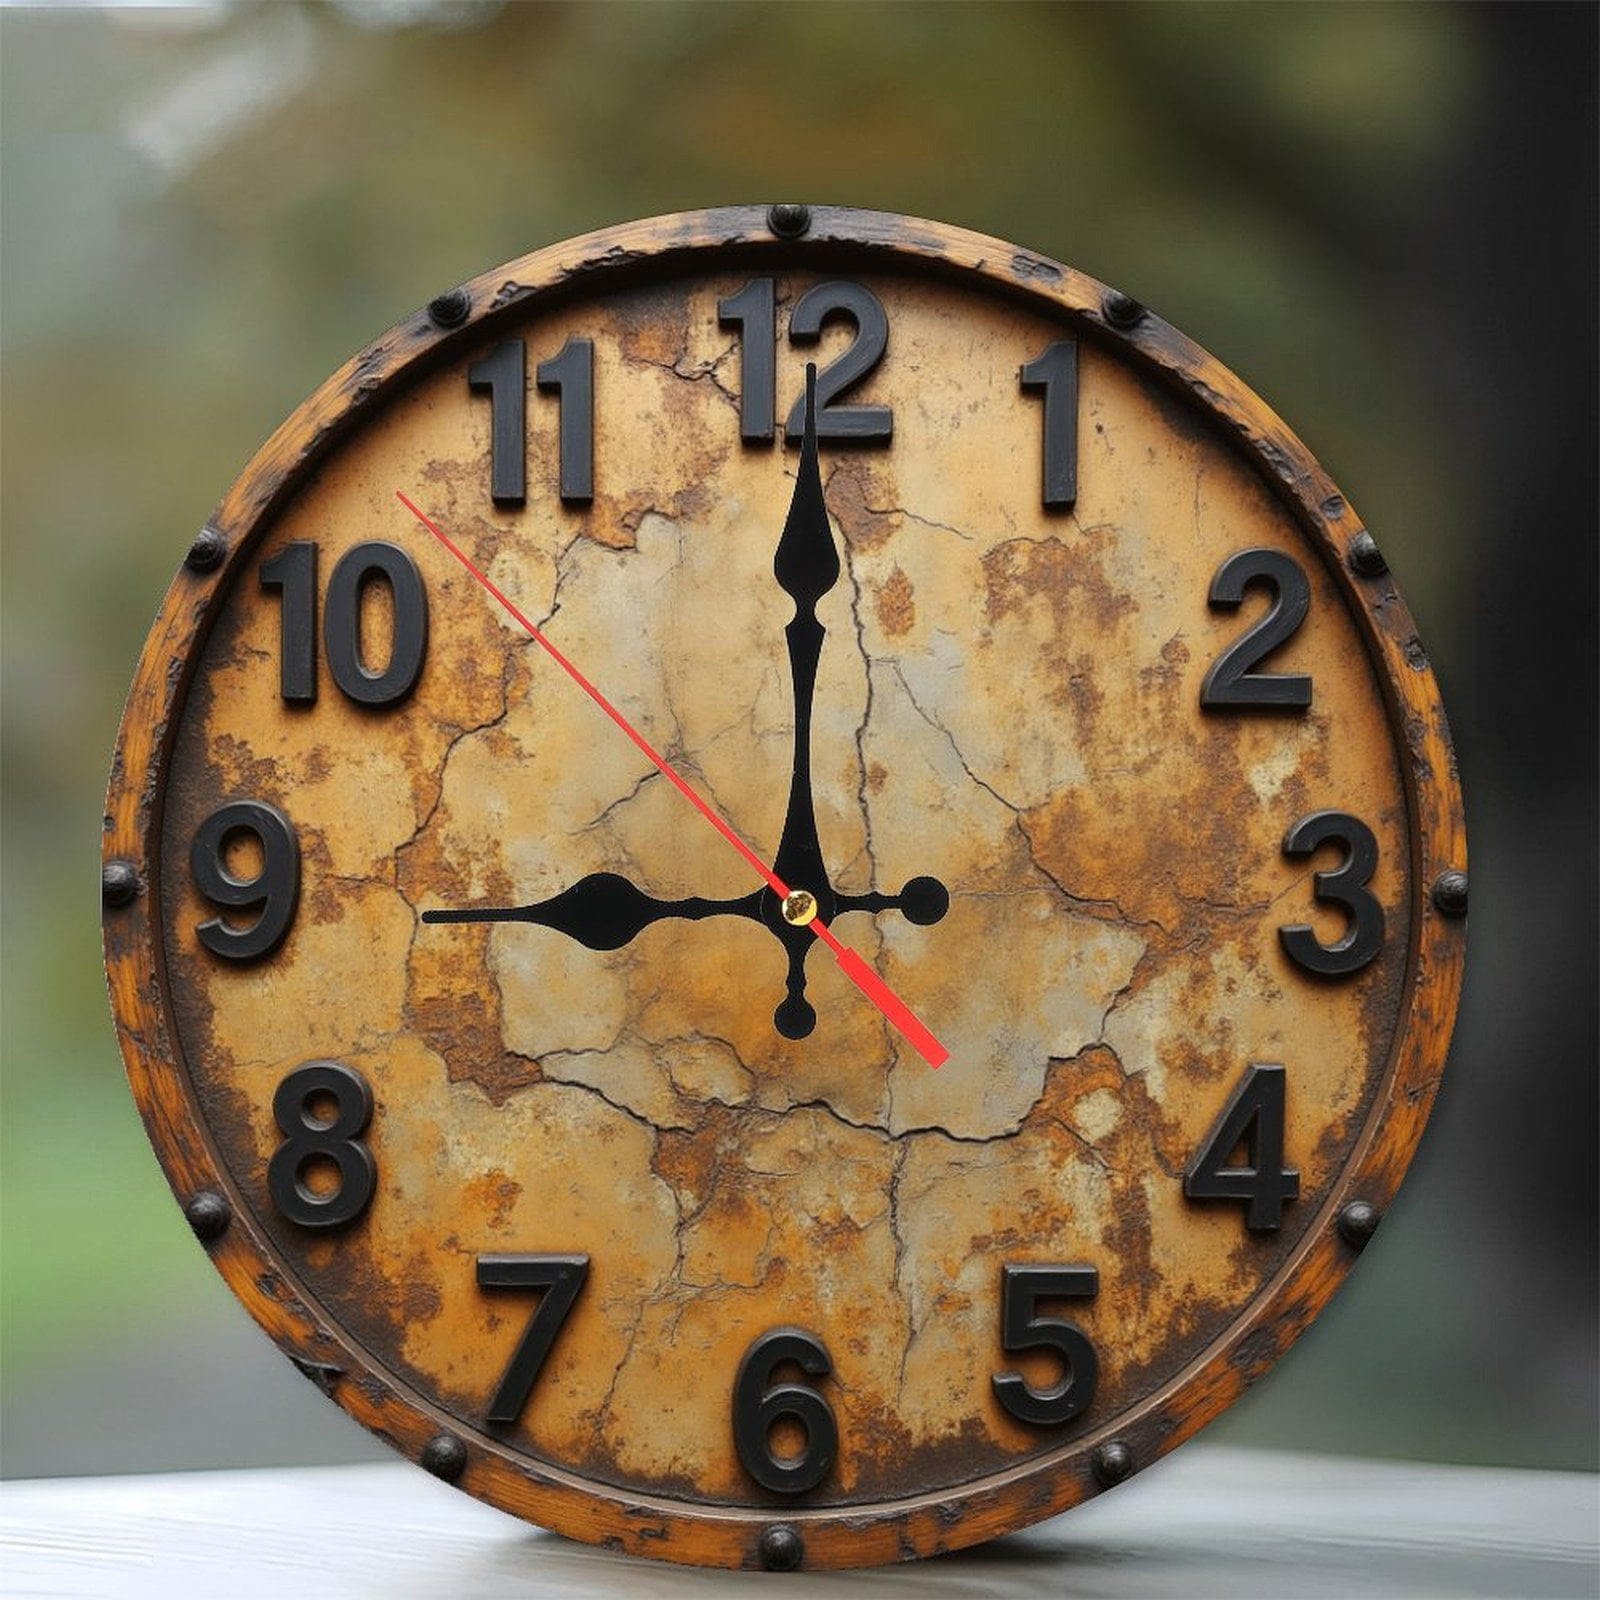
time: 9:00
